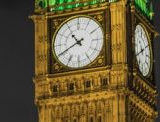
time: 10:40
